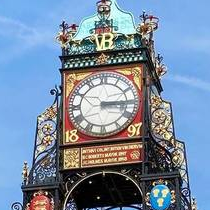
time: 3:15
